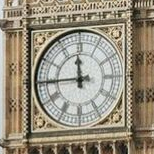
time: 11:44
